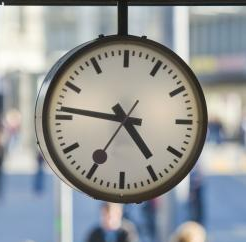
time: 4:46
